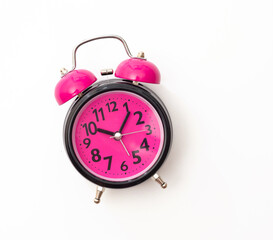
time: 10:06
